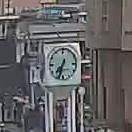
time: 7:33
